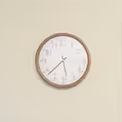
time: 5:37
